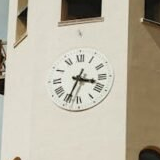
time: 3:34
